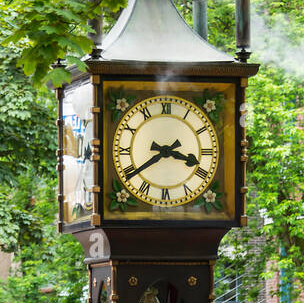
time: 3:39
